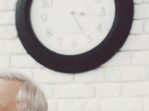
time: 3:25
